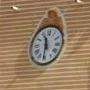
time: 11:31
